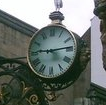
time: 9:13
